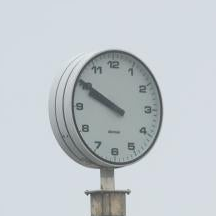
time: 9:50
